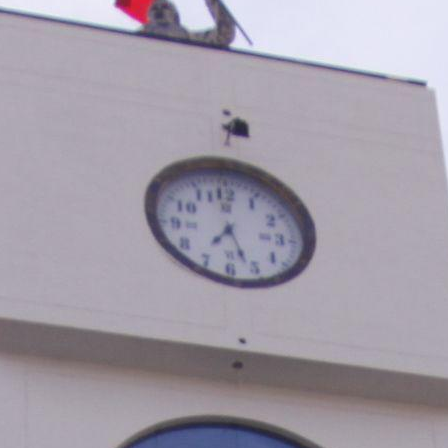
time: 7:26
